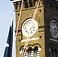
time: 5:14
